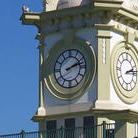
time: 2:12
